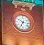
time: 6:50
